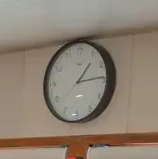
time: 1:13
